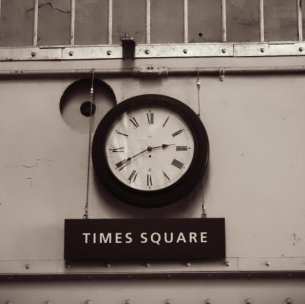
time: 2:40
